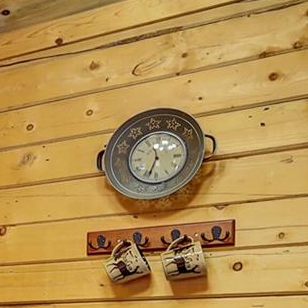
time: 11:33
